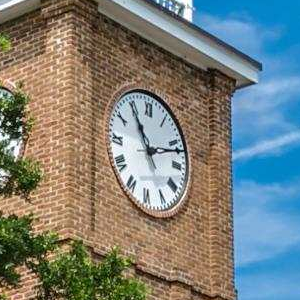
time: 11:11
